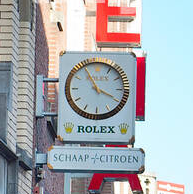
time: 3:55
